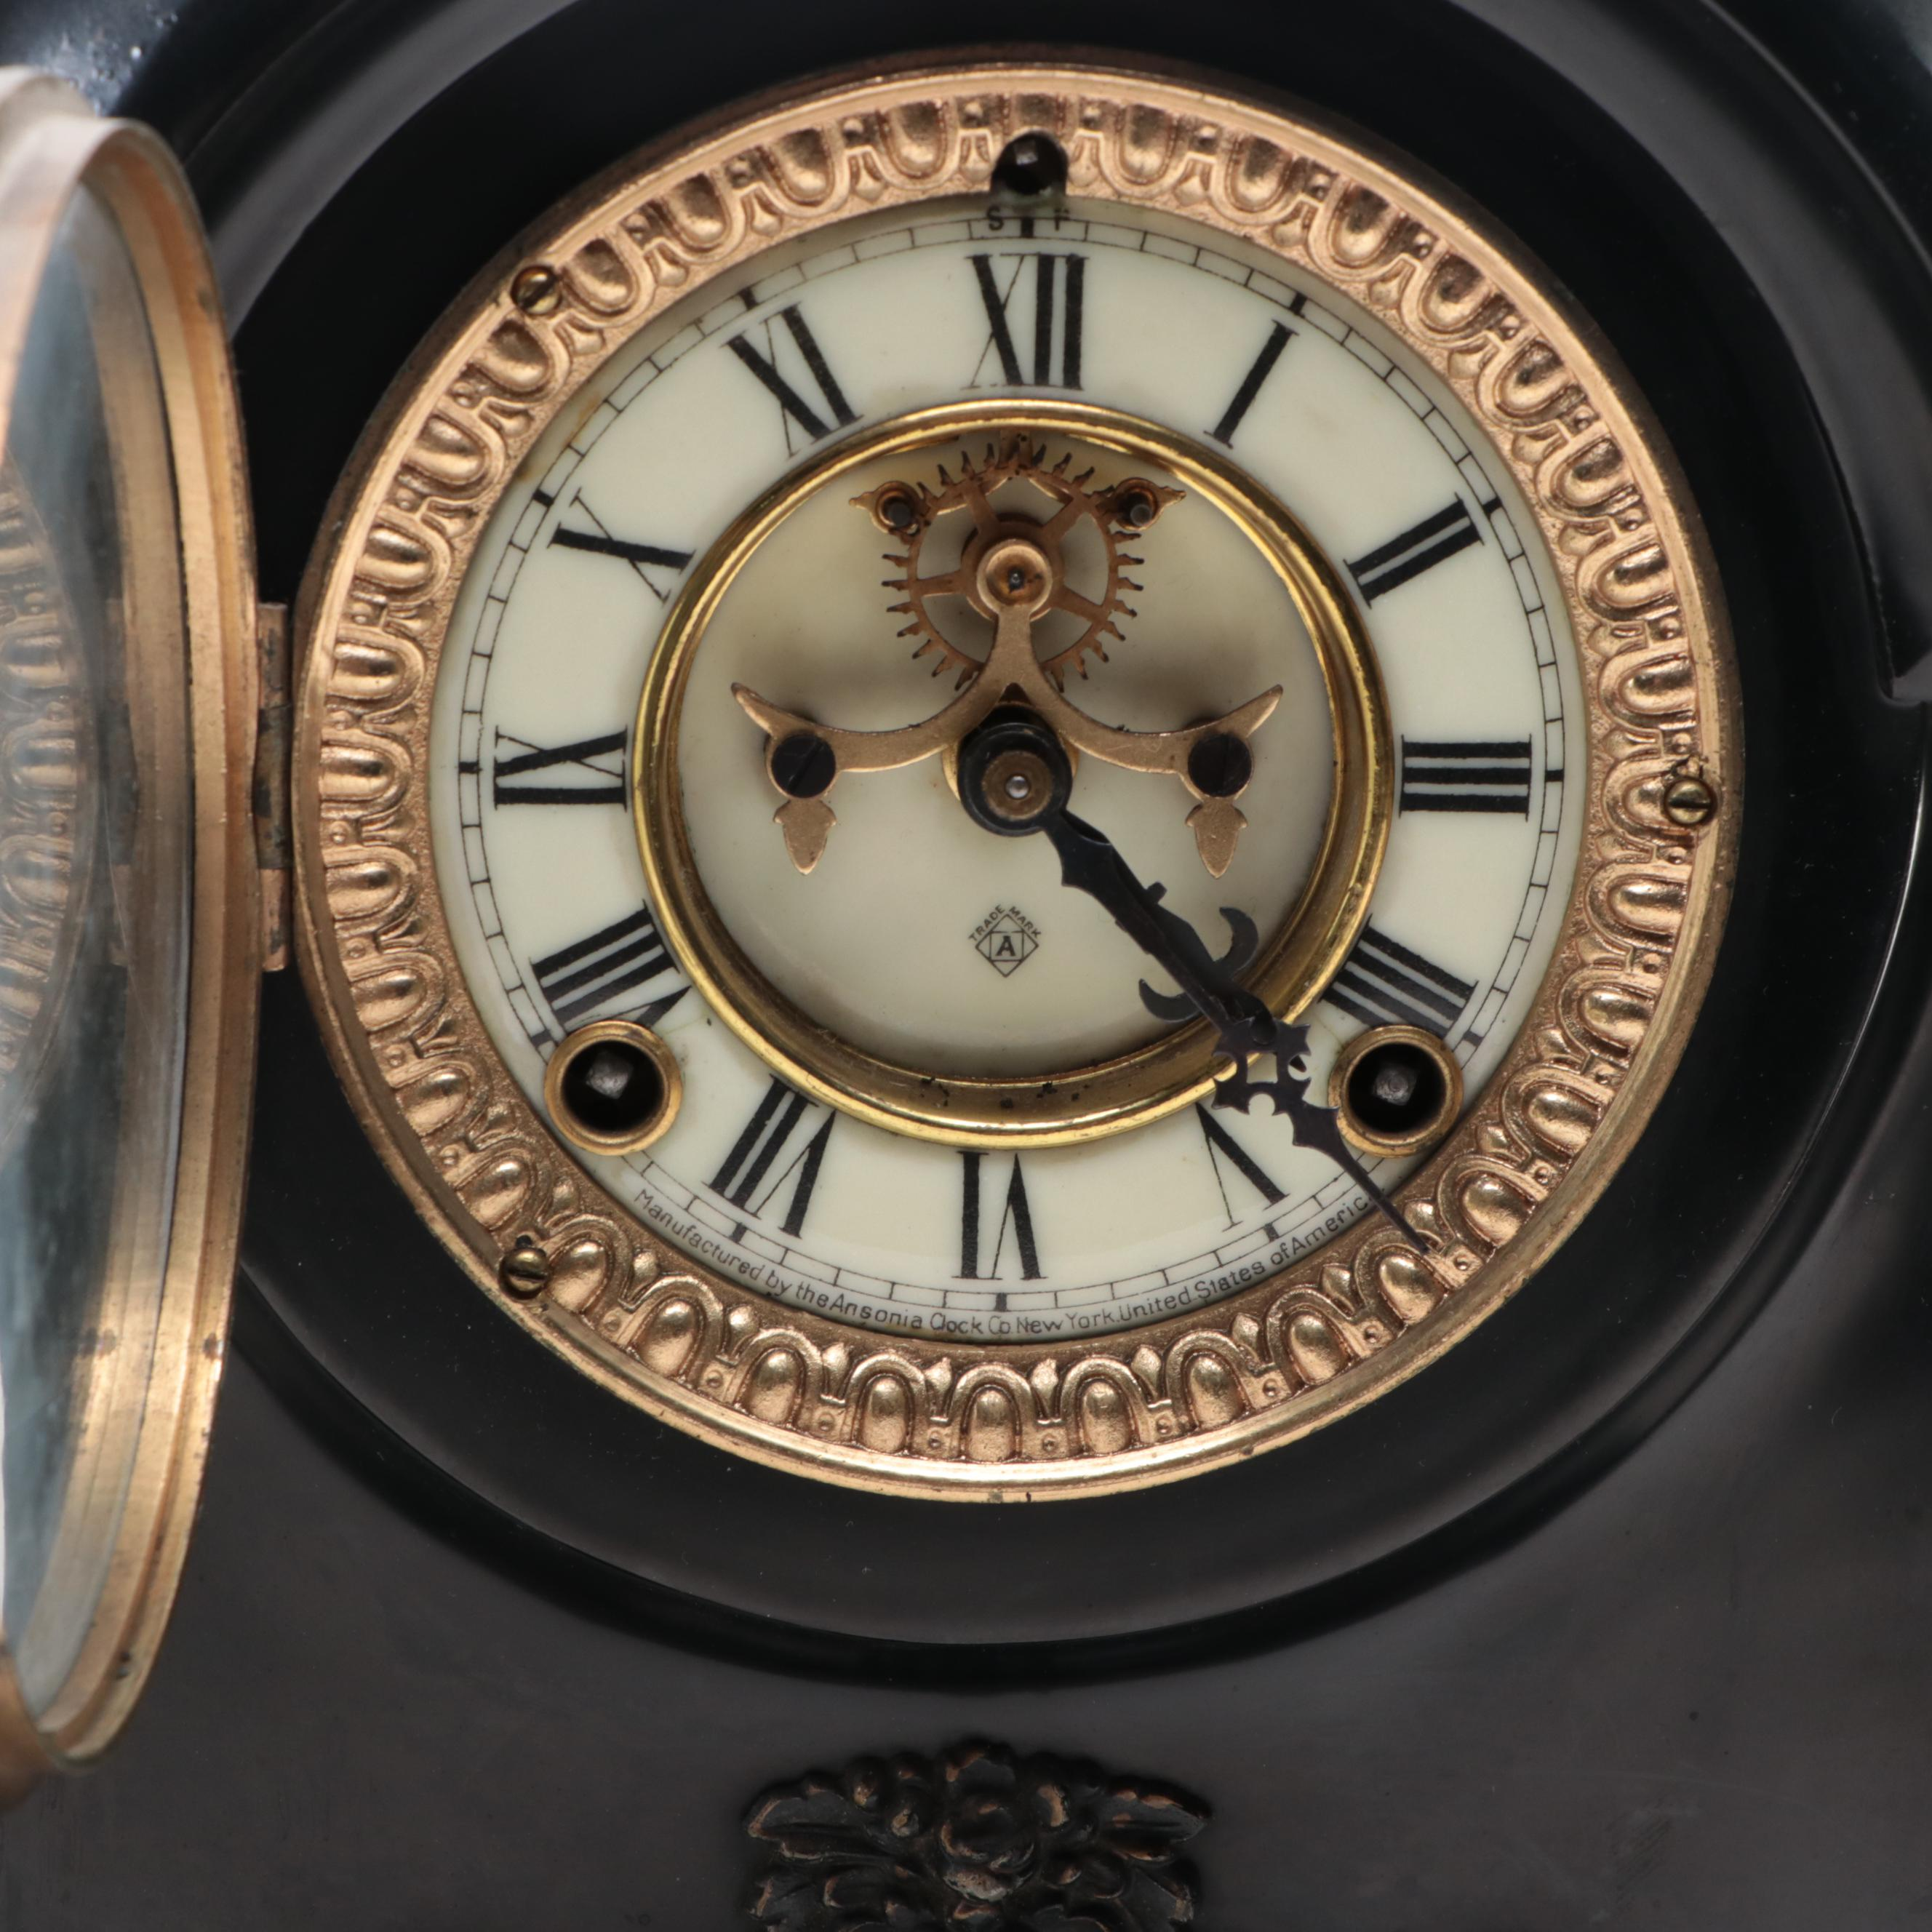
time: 11:22
